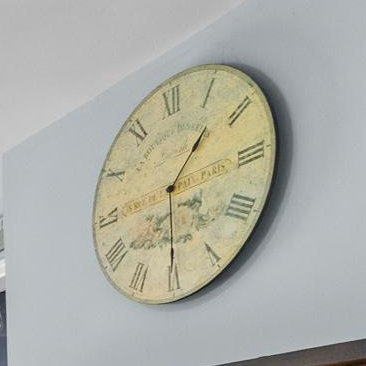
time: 1:30
